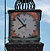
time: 7:52
